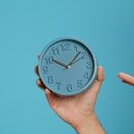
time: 10:07
